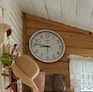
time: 8:46
